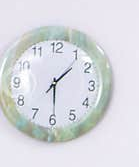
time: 1:29
